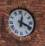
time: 12:19
